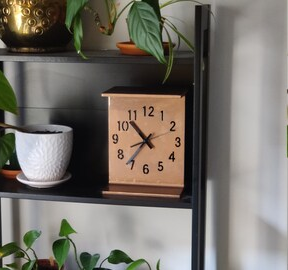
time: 10:36
